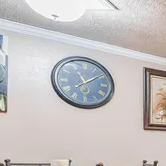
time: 11:09
